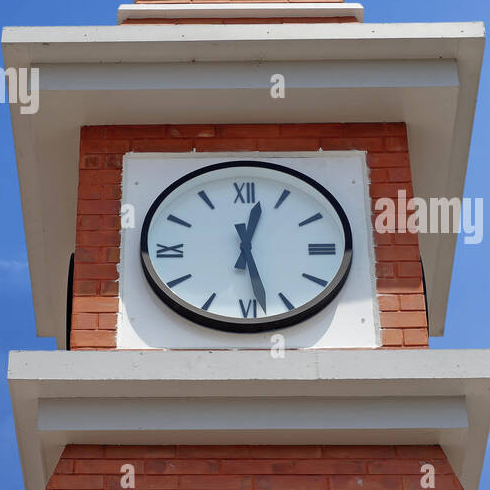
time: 12:28
